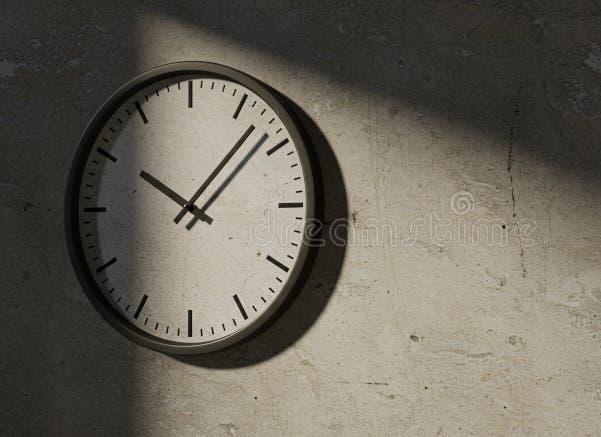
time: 10:07
